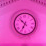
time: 6:52
